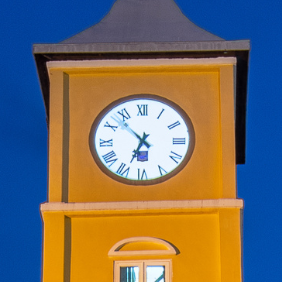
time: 6:52
